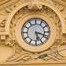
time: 5:18
